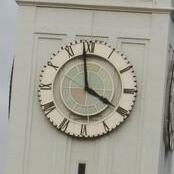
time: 3:58
